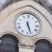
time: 5:26
